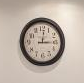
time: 3:01
